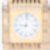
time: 9:01
